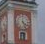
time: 4:26
